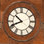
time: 10:41
